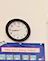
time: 8:43
